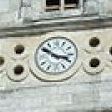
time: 10:17
